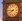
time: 7:46
